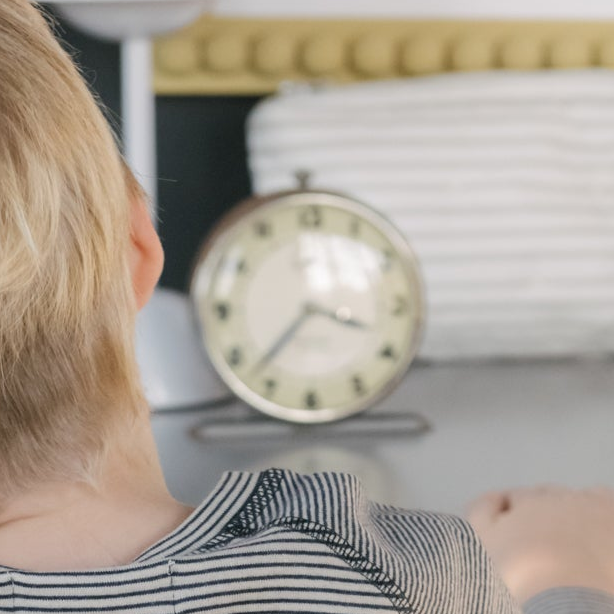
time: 3:37
